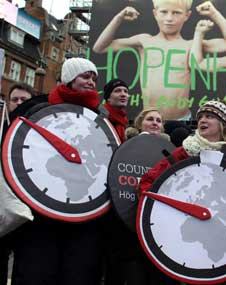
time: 9:50
